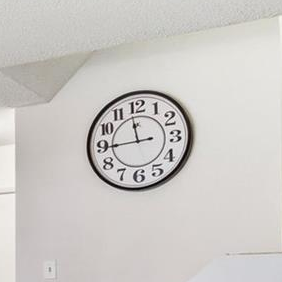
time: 11:44
